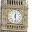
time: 12:28
